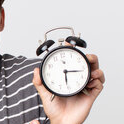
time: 6:16
